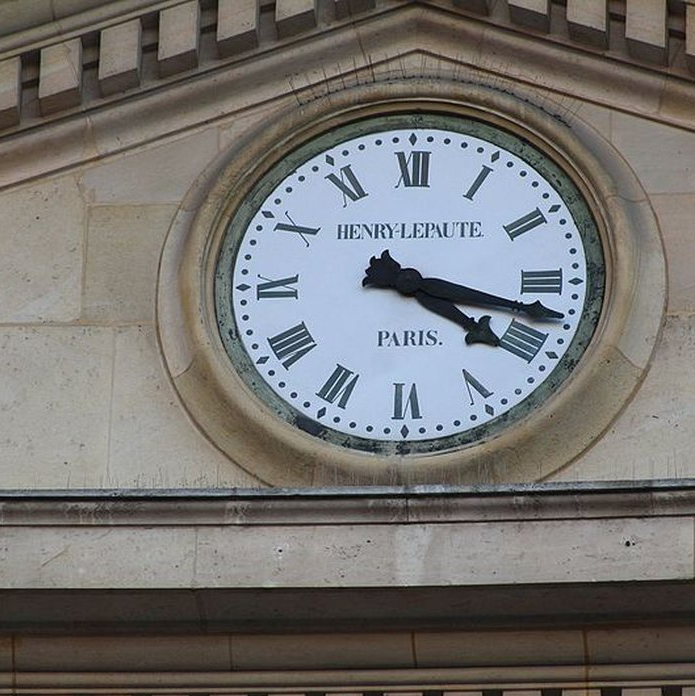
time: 4:17
